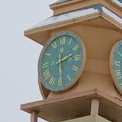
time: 2:29
